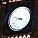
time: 8:47
